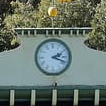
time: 2:18
